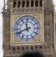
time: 11:41
